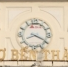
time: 8:19
